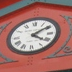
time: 4:09
